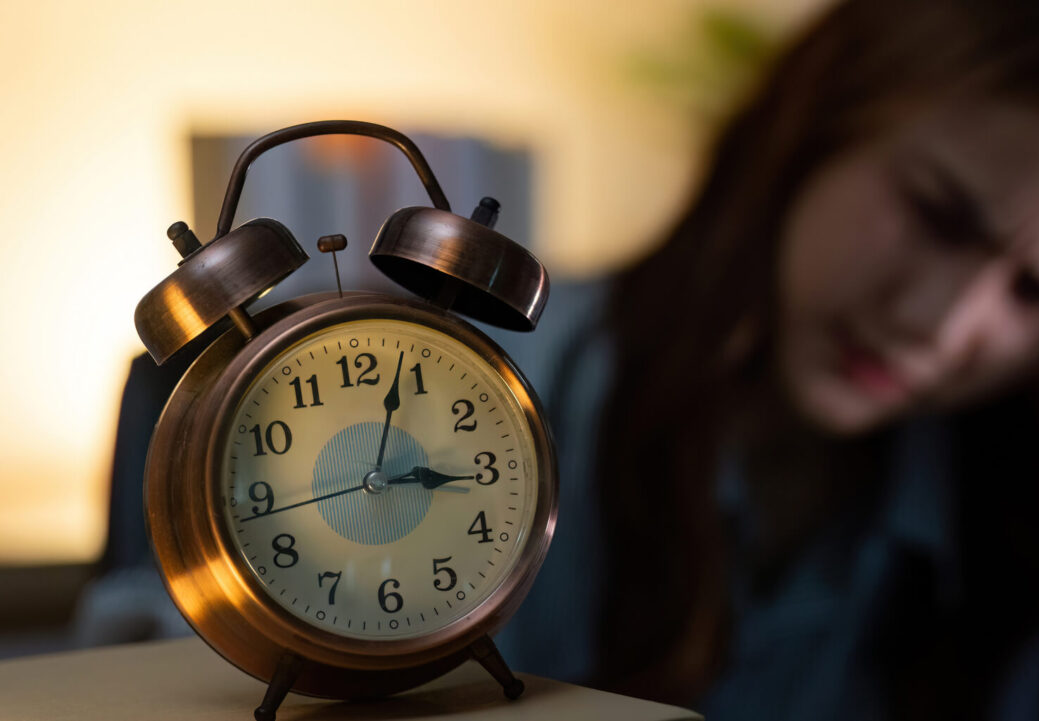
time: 3:03
